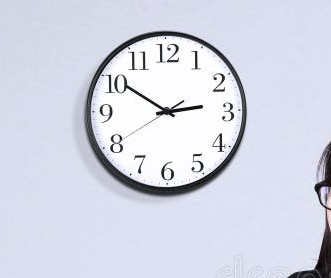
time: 2:50
